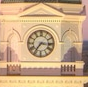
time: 7:15
